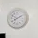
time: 8:09
